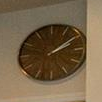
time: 2:09
